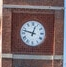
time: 12:47
